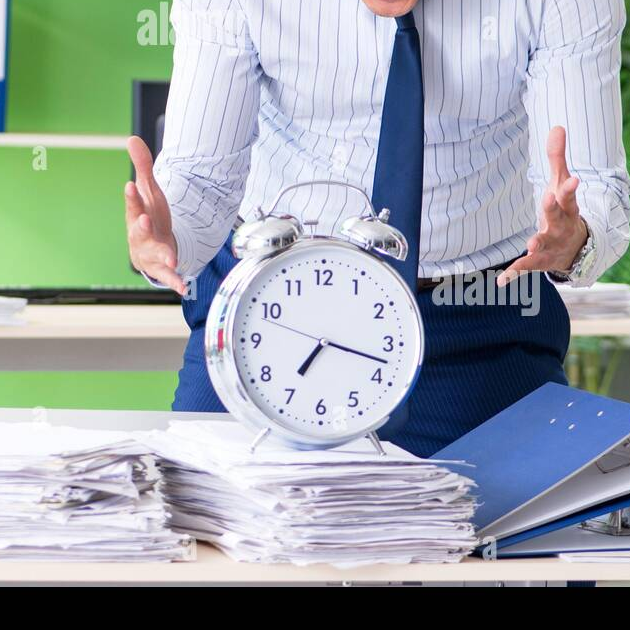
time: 7:17
